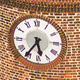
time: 5:36
